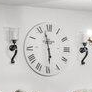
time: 5:57
